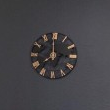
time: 2:59
